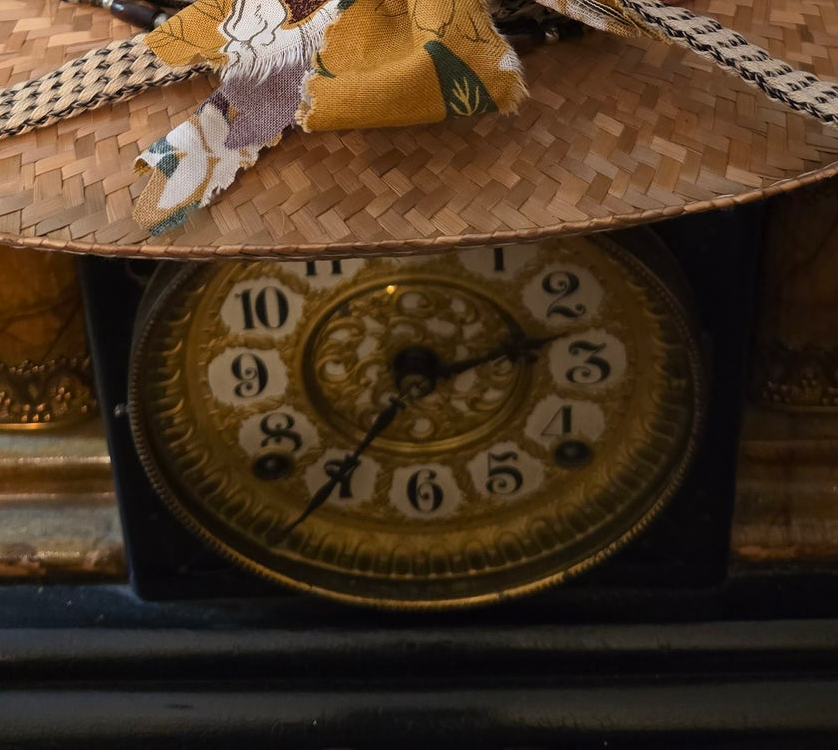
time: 2:35
